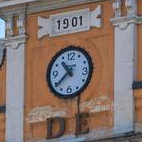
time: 10:37
